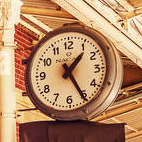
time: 1:25
